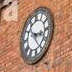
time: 3:22
